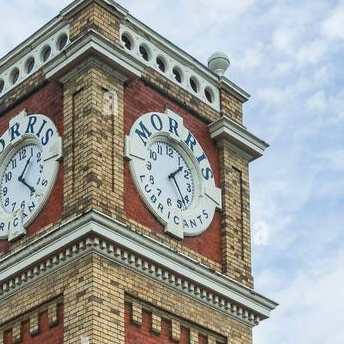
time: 1:24
